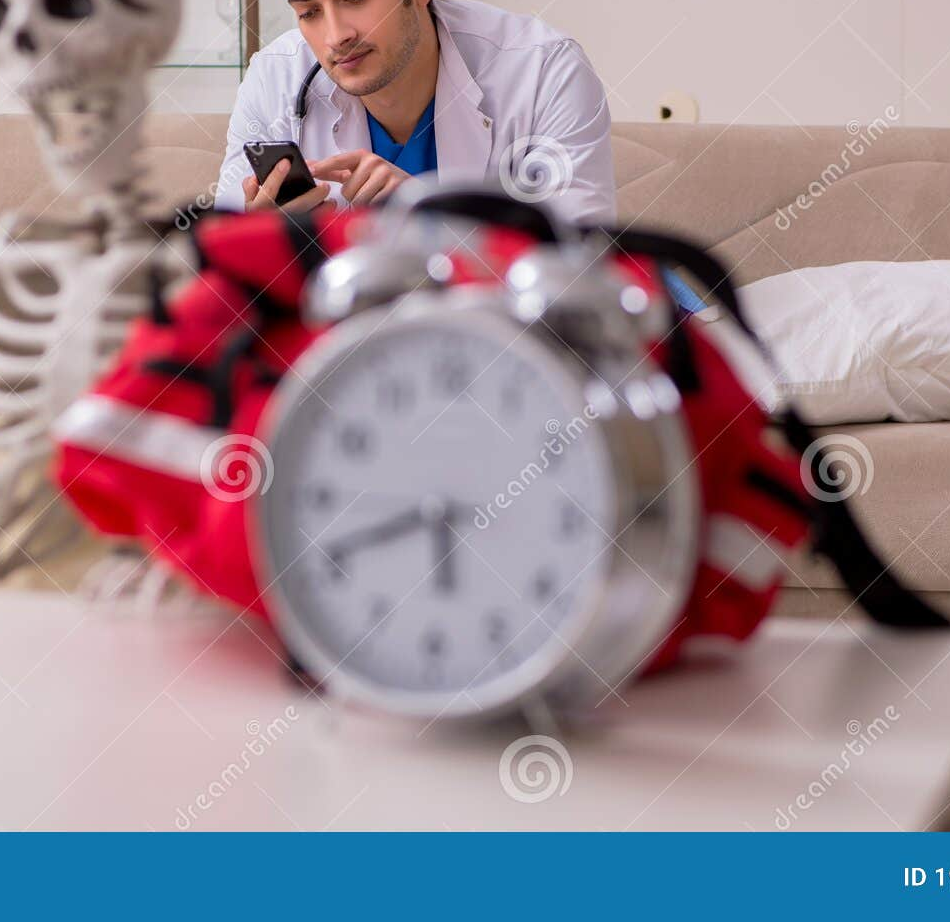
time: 5:41
